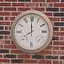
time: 7:59
